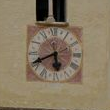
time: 5:40
